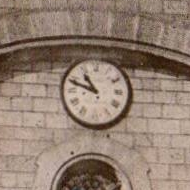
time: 10:48
